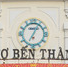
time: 7:04
